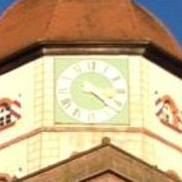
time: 4:22
